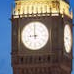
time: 8:59
